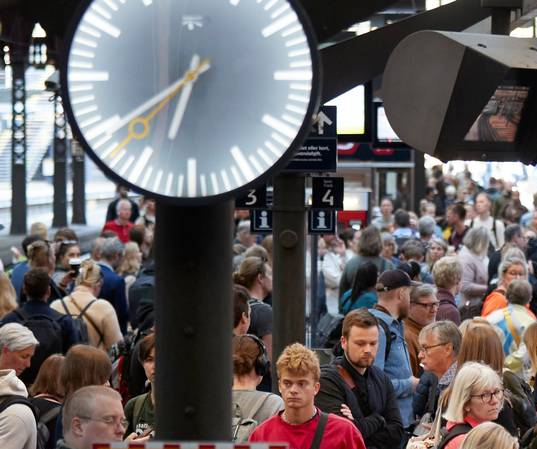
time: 6:38
